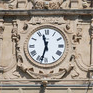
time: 11:32
